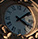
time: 4:08
